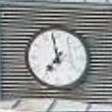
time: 6:58
